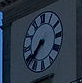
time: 7:37
